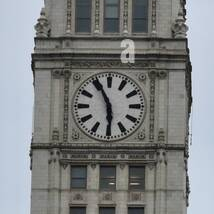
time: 5:55
